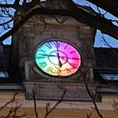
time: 5:46
